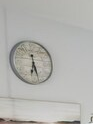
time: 6:27
